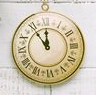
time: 11:54
